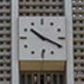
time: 10:19
